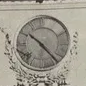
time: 10:23
